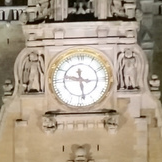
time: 9:28
